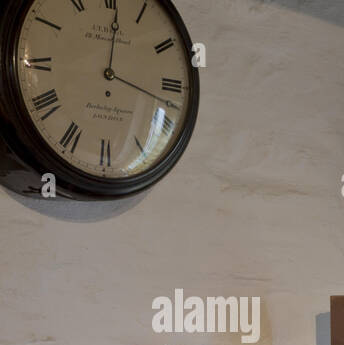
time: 12:17
